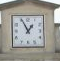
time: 12:55
